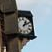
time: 1:10
